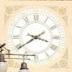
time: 3:39
